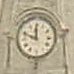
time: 11:48
